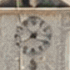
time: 7:53
